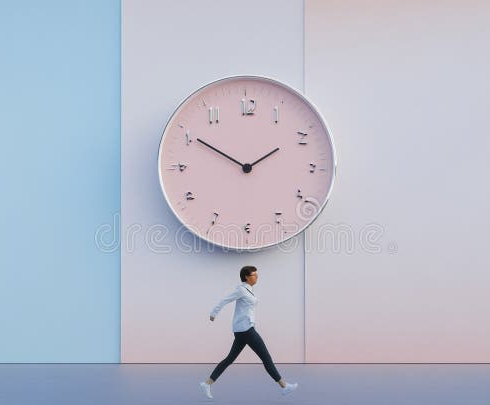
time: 1:50
